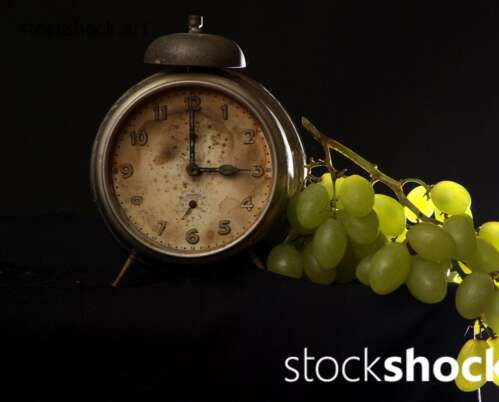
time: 3:00
